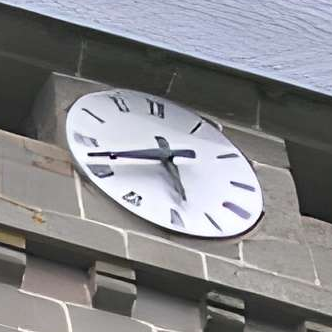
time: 5:42
